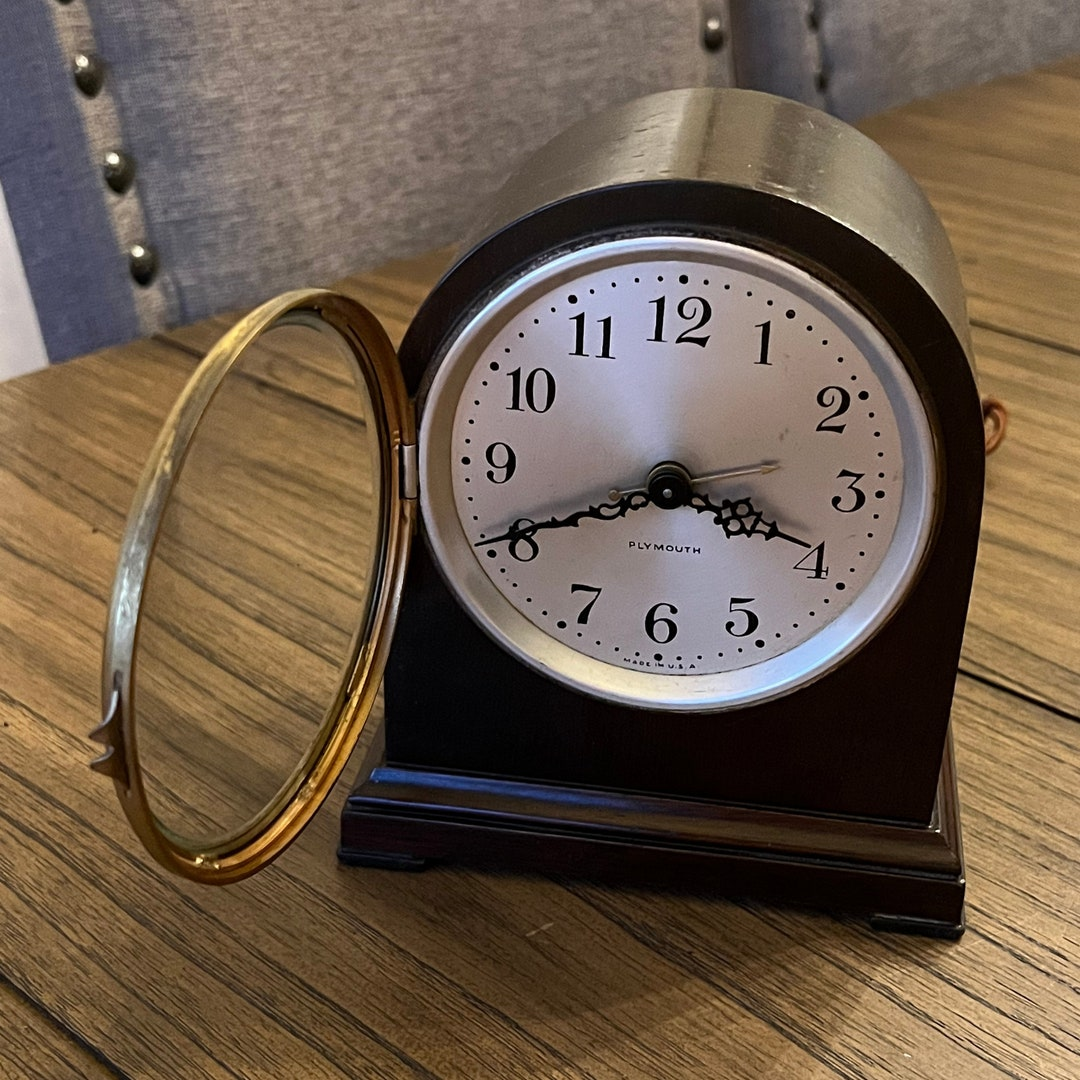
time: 3:41
